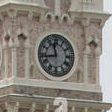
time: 11:43
